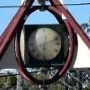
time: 6:11
